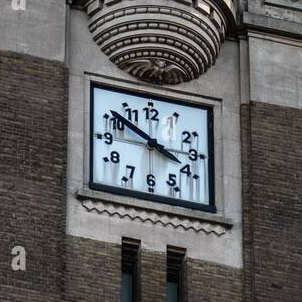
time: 3:51
